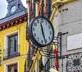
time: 11:26
